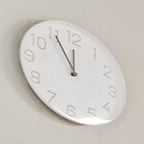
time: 11:55
